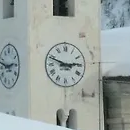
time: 2:48
